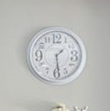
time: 1:28
